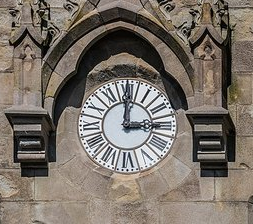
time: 3:00
